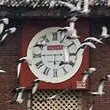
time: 5:45
